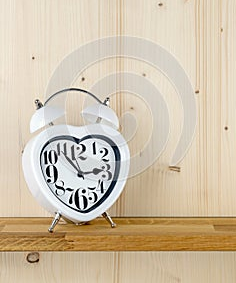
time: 2:53
